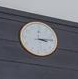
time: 3:13
